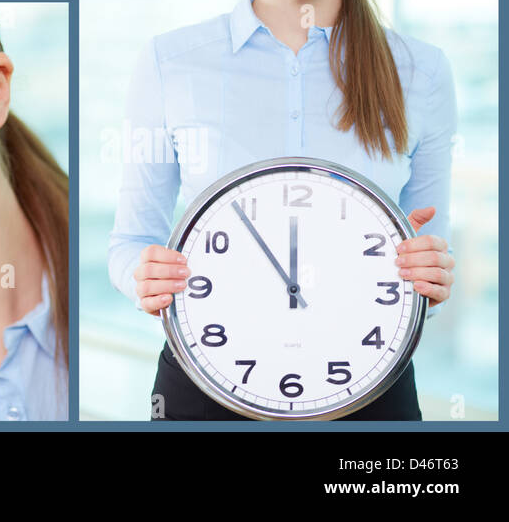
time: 11:54
